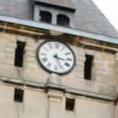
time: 3:26
